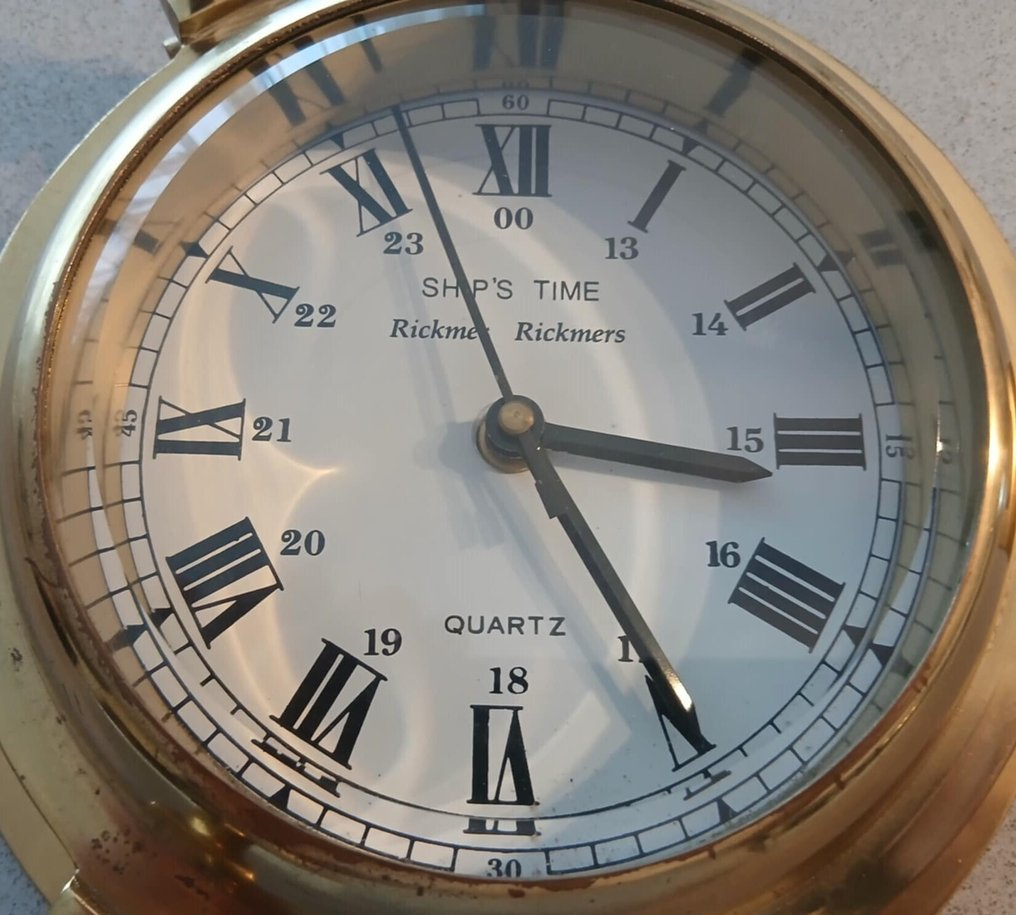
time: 3:24
